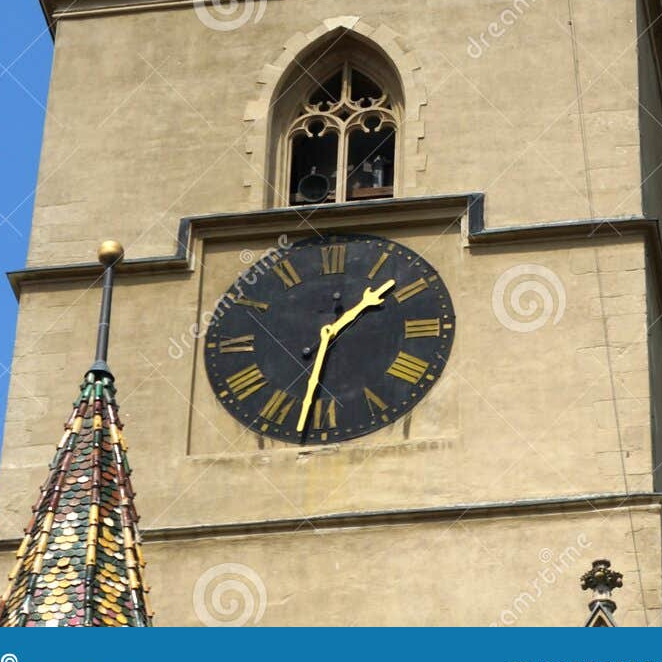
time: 1:32
